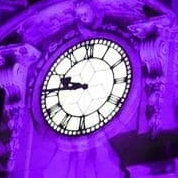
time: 9:45
